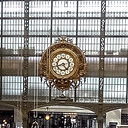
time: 4:42
